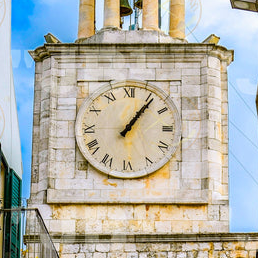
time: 1:06
